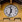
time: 11:33
